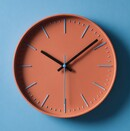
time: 10:08
